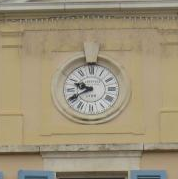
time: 9:40
